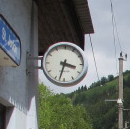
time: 3:32
